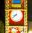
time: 8:38
